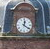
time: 12:21
